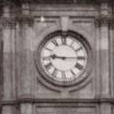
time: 9:15
